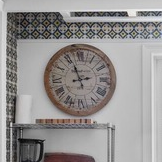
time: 2:56
